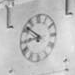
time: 8:51
